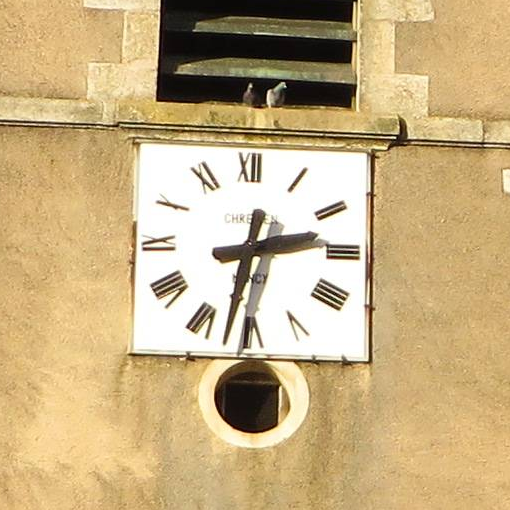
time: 2:32
